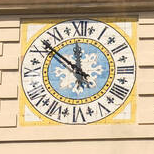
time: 11:51
